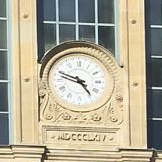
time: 4:48
